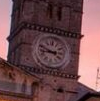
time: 8:48
